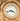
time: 3:43
